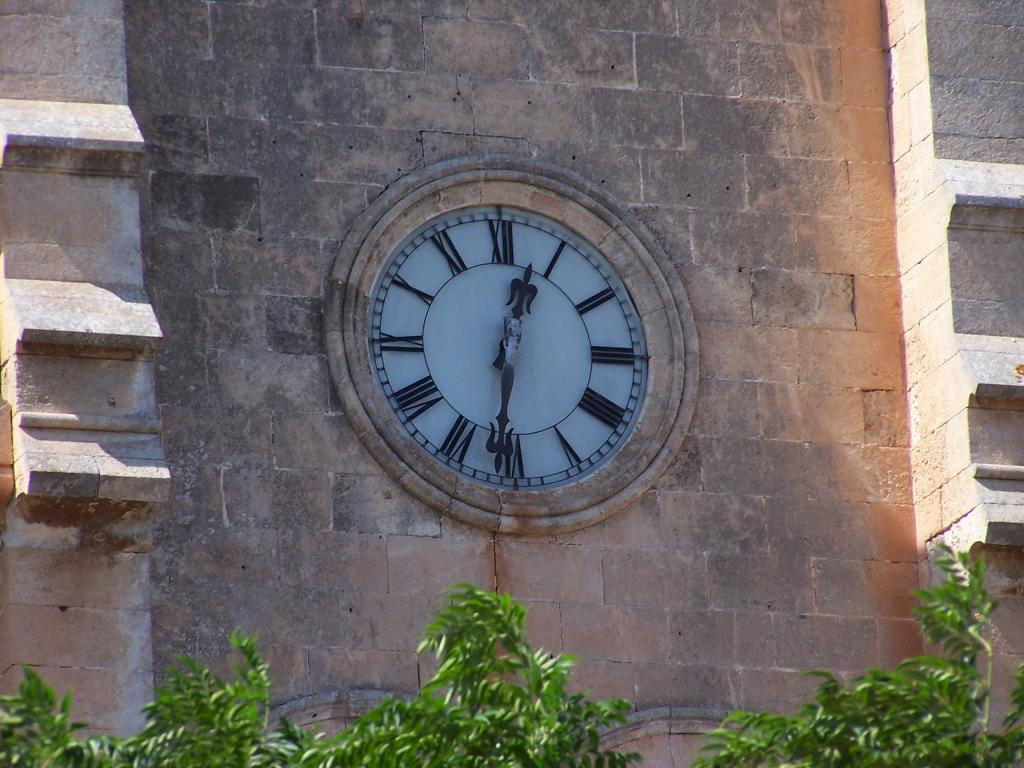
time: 12:31
